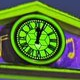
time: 12:03
